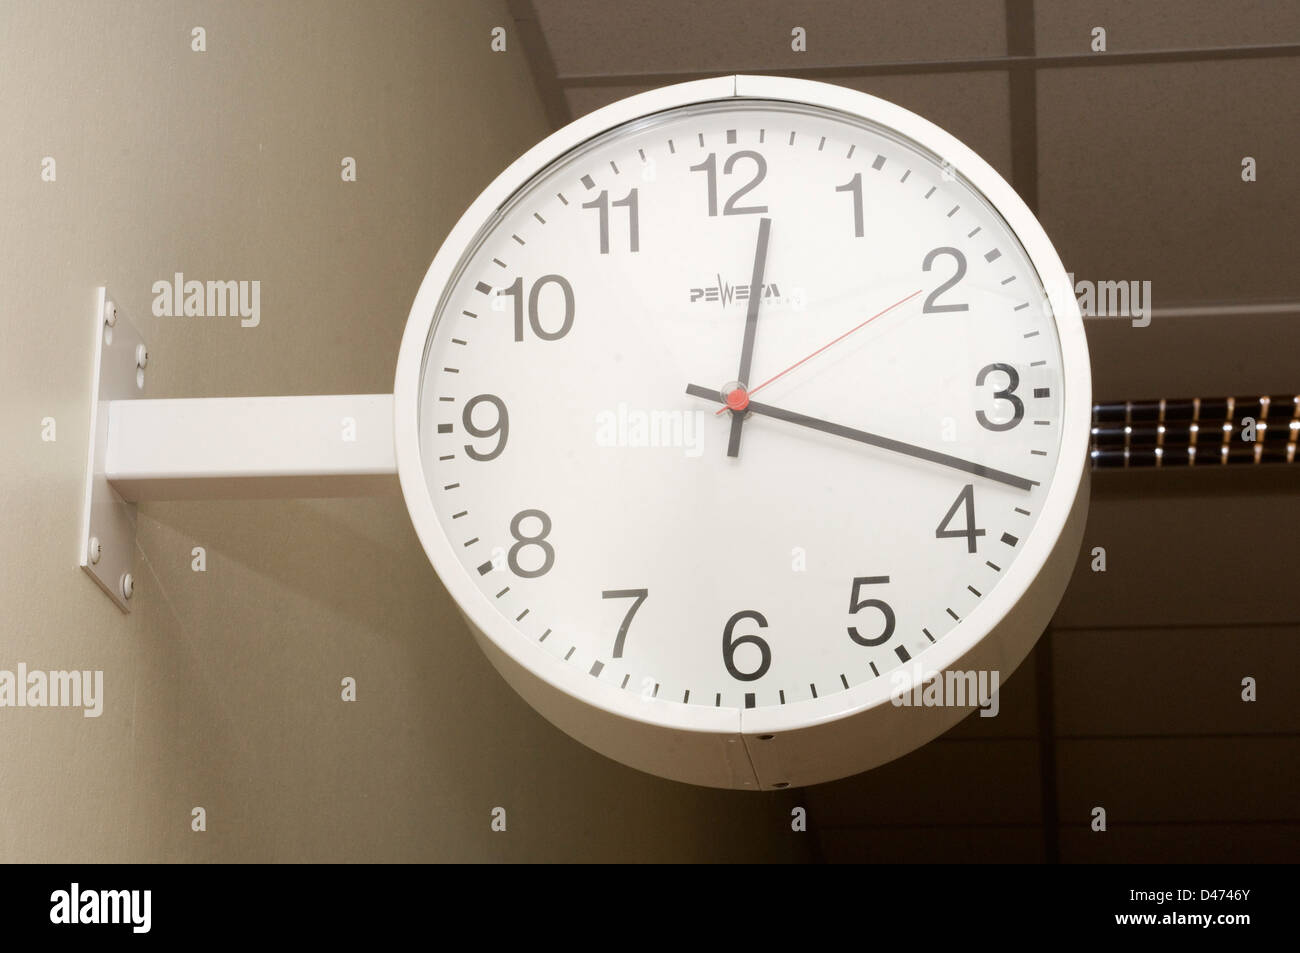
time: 12:18
